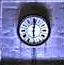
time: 6:01
